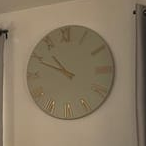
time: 10:49
